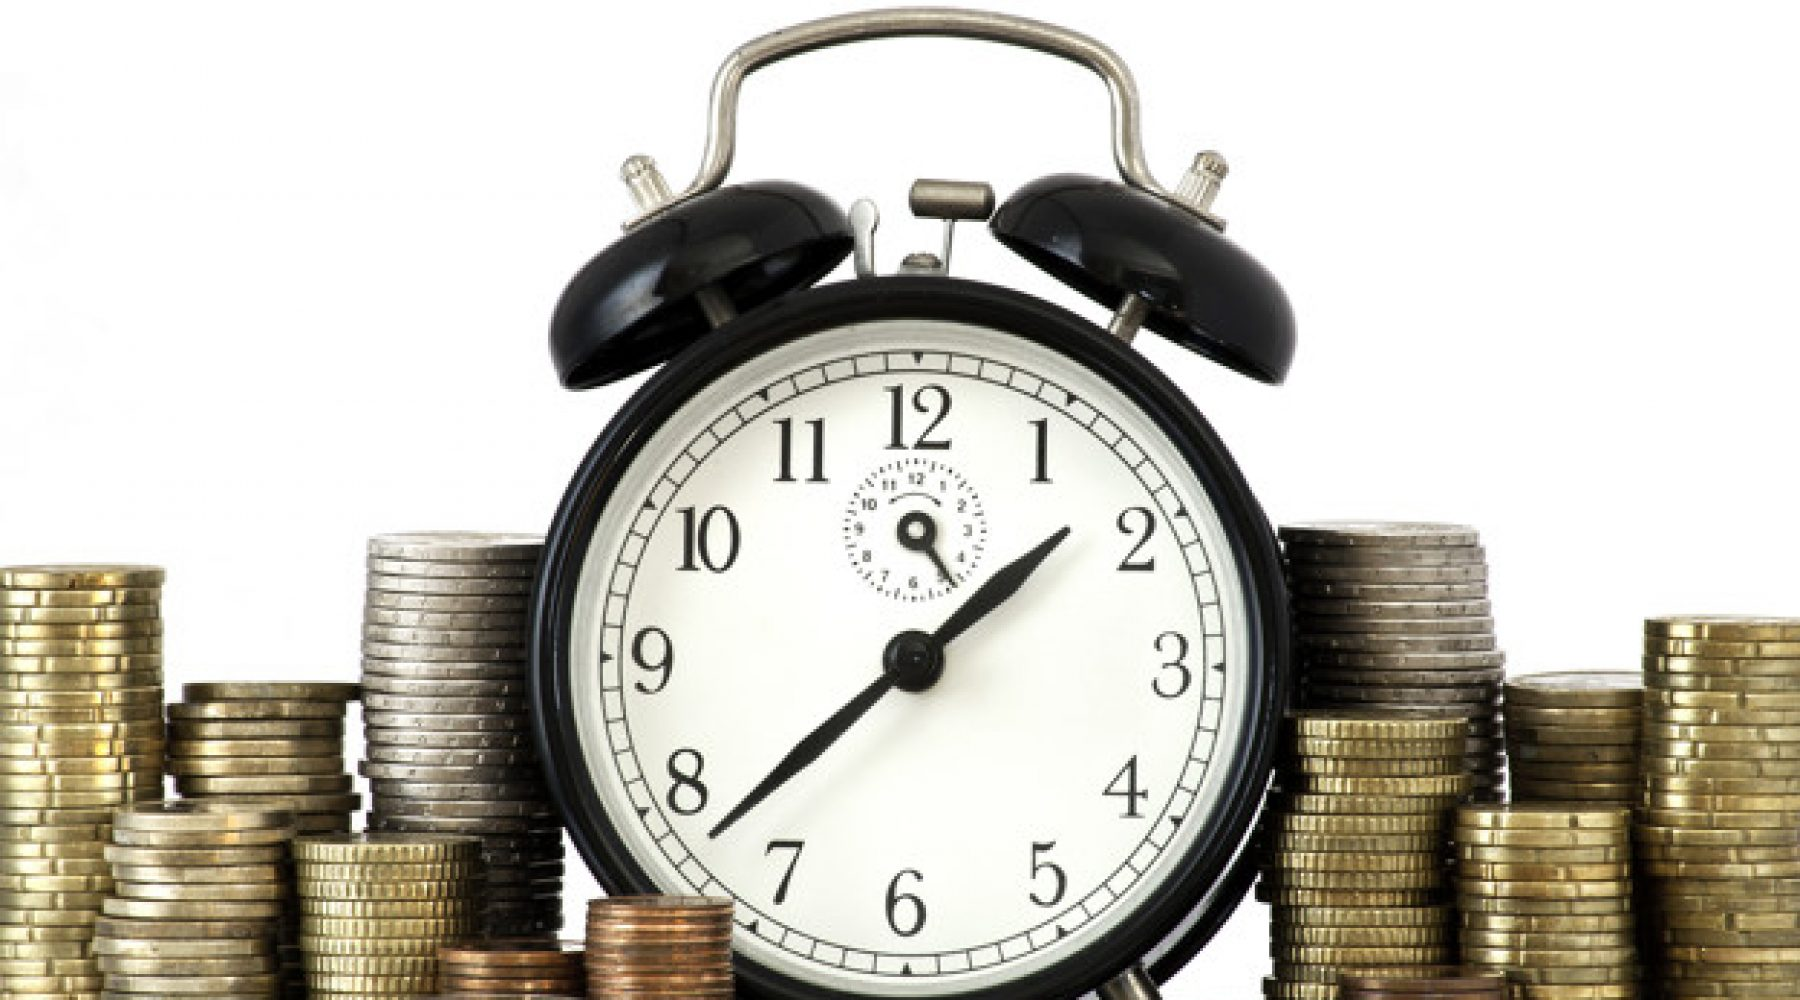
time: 1:37
